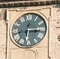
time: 6:14
